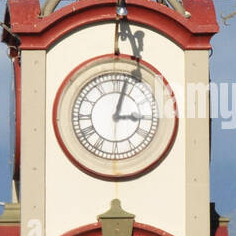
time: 3:02
